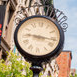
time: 9:16
